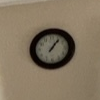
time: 1:06
